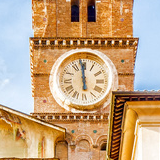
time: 5:59
